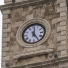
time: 12:24
